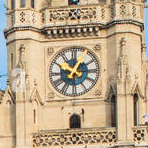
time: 12:49
